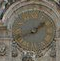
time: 1:40
